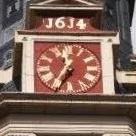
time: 11:34
